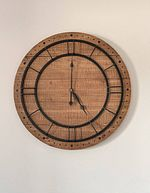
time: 5:00
